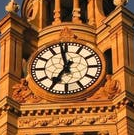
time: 6:58
